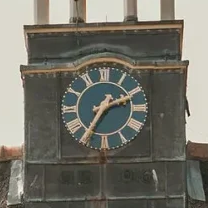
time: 2:35
